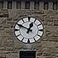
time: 12:49
